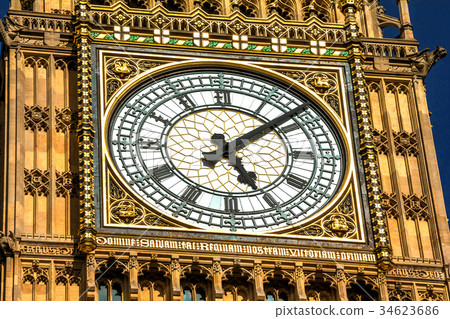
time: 5:08
